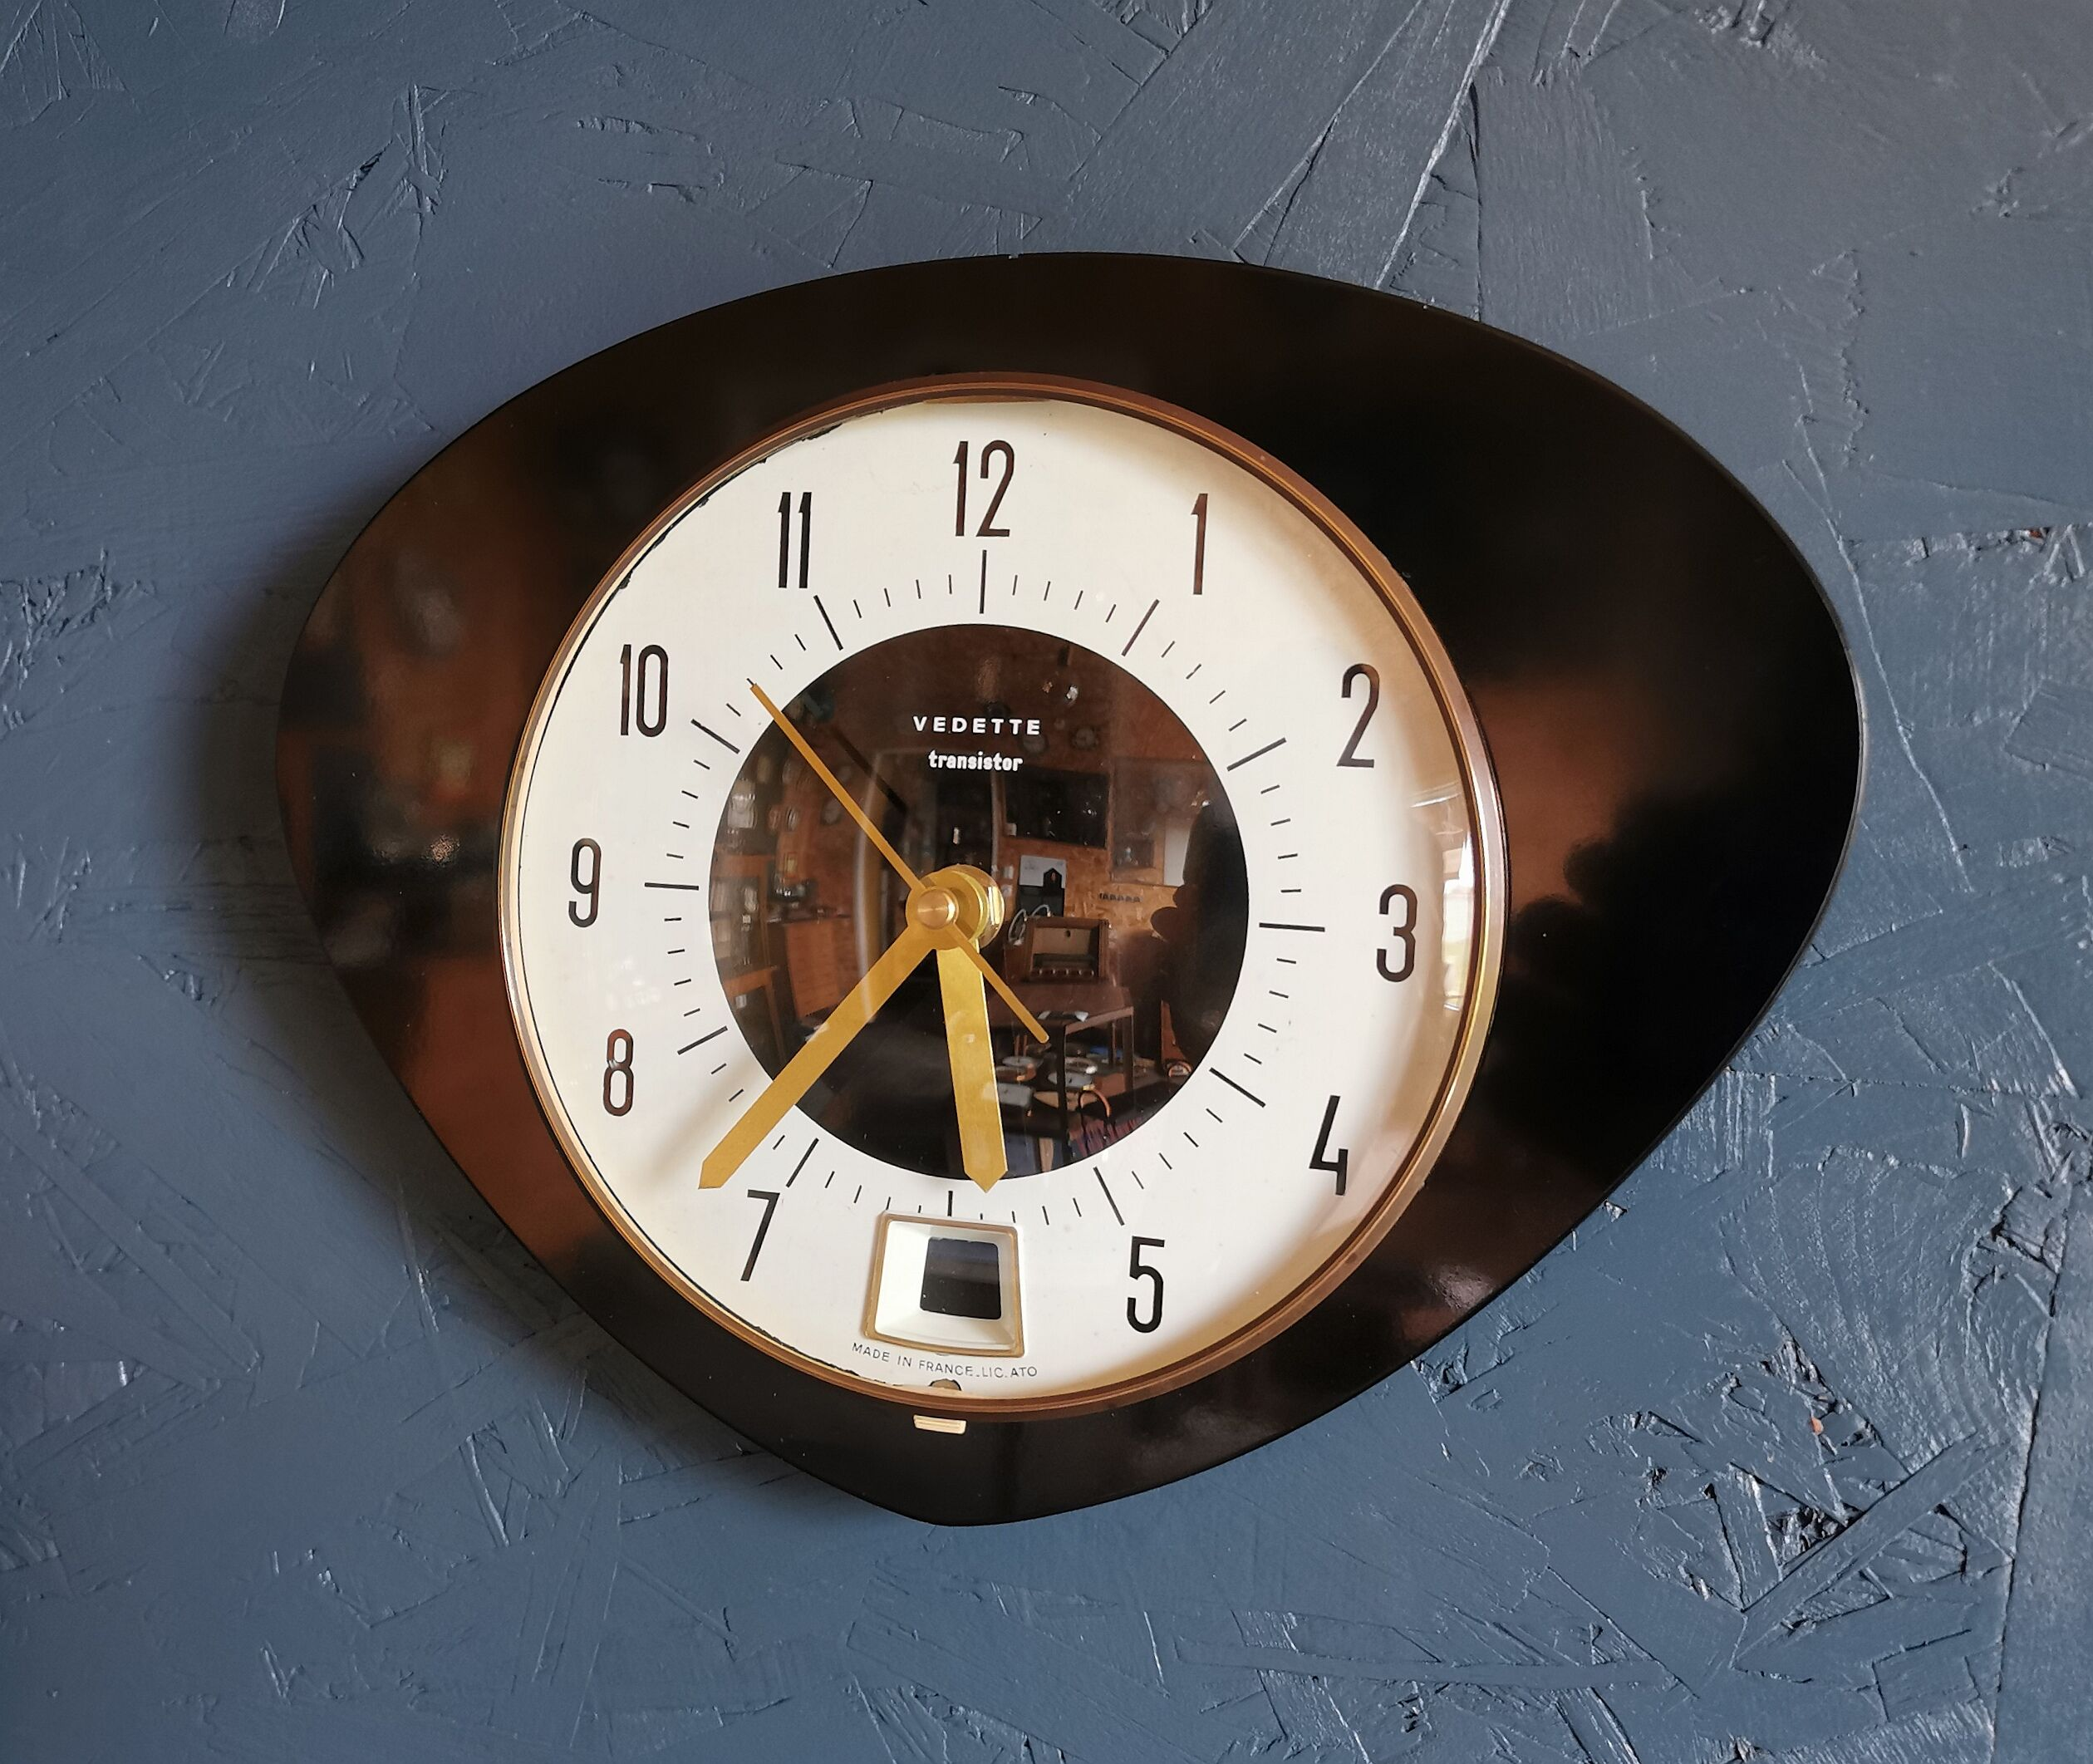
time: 5:36
